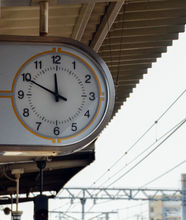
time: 11:49
